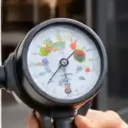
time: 1:28
